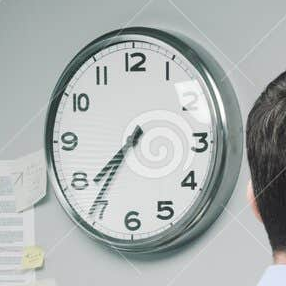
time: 7:35
